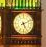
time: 5:11
